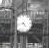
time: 4:42
